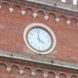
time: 3:58
